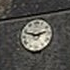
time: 2:48
